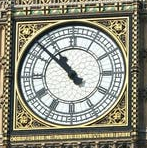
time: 10:52
